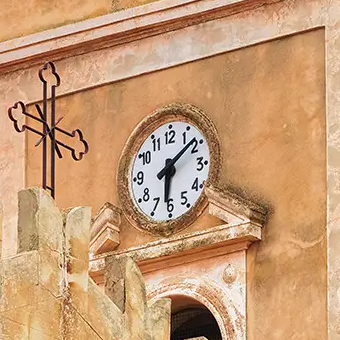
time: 6:08
